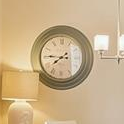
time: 7:45
